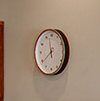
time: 11:38
